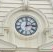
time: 12:13
